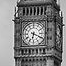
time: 6:19
